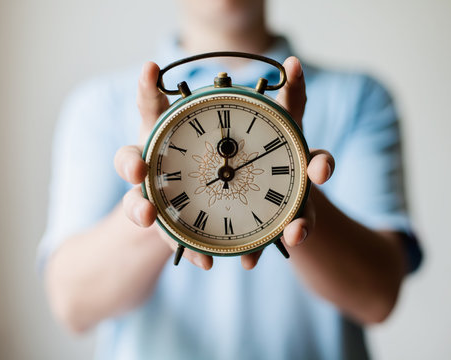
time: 12:10
